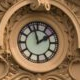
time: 1:57
